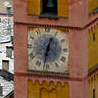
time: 12:32
